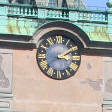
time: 3:09
